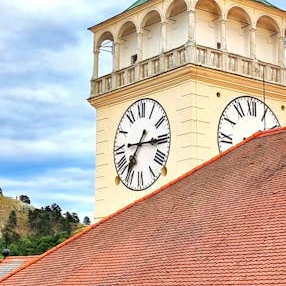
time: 7:15
